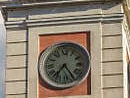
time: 7:24
